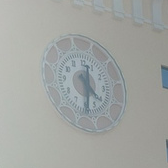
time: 4:32
